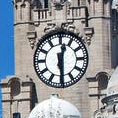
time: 12:28
